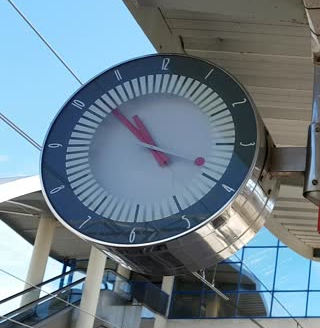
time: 10:52
